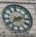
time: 2:39
